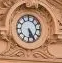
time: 5:24
